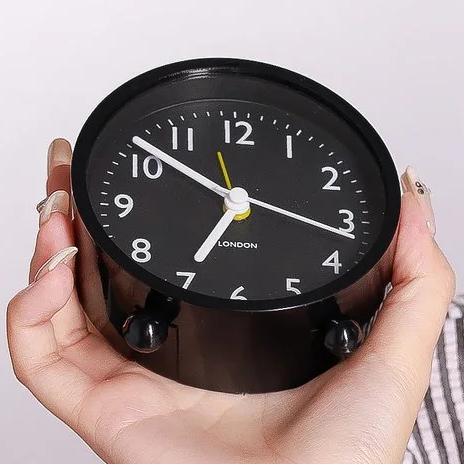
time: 6:51
